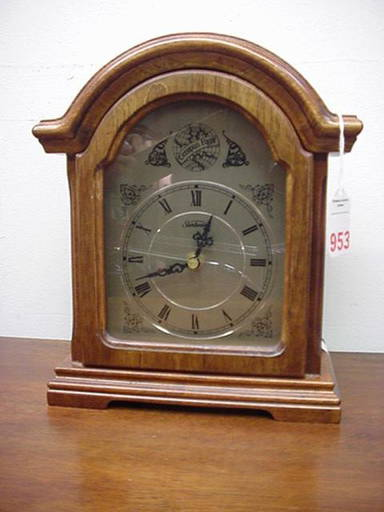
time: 12:41
